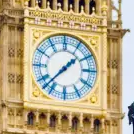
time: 1:37
